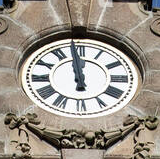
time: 11:58
